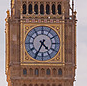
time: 4:34
